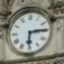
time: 6:14
